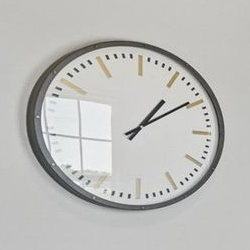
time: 1:09
